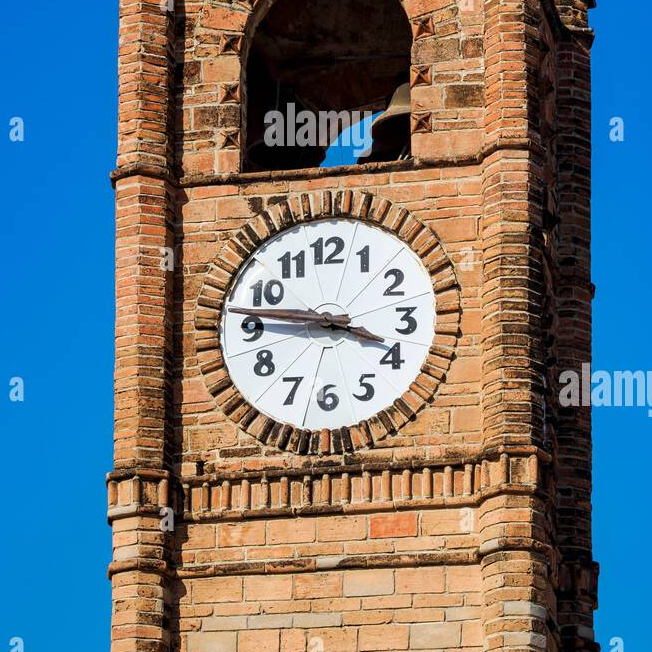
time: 3:46
